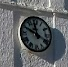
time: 11:49
